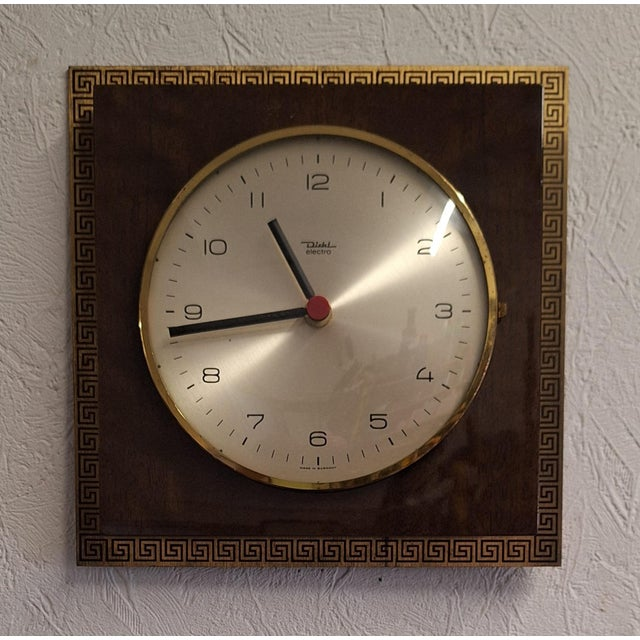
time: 10:43
